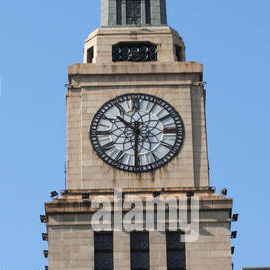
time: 10:30
